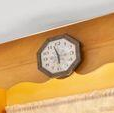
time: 5:57
